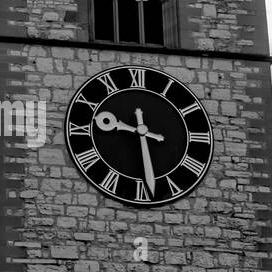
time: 9:28
